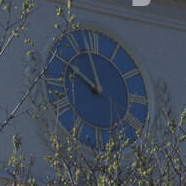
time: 9:57
